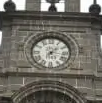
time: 1:16
